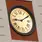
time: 9:09
